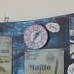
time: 1:33
